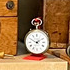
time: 1:49
